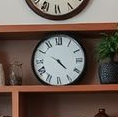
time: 4:22
